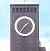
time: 1:36
